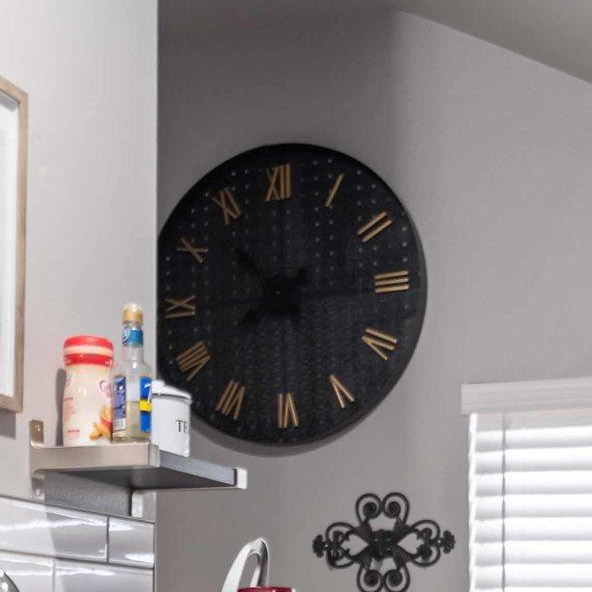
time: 7:52
